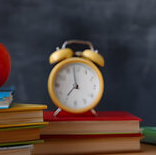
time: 6:58
